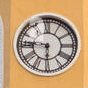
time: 5:46
